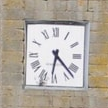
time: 6:22
